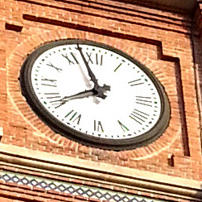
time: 7:57
